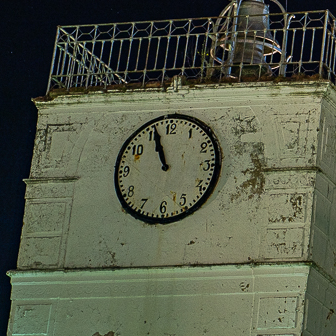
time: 10:56
